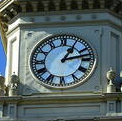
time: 1:13
